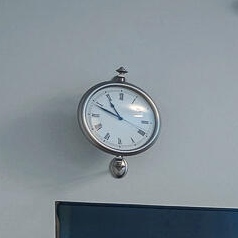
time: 10:48
